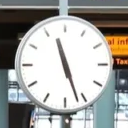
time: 11:26
